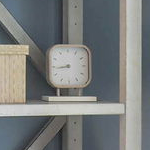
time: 8:43
